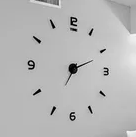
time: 2:11
